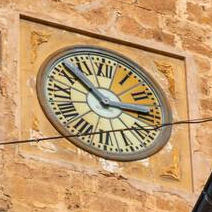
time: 2:51
